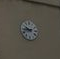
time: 9:43
